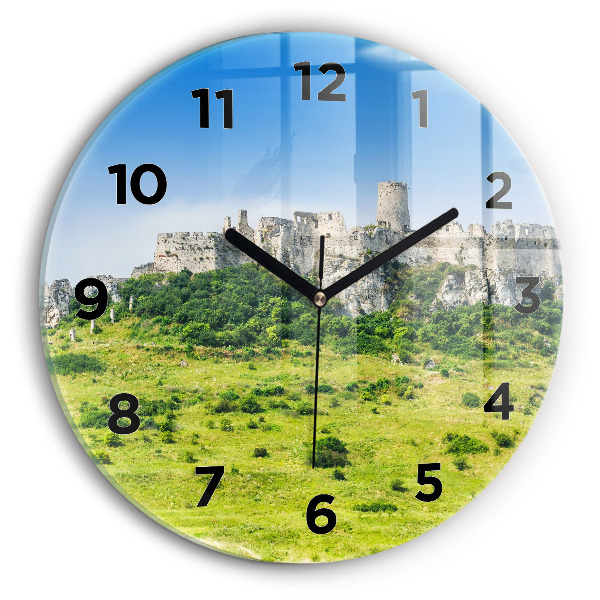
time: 10:10
